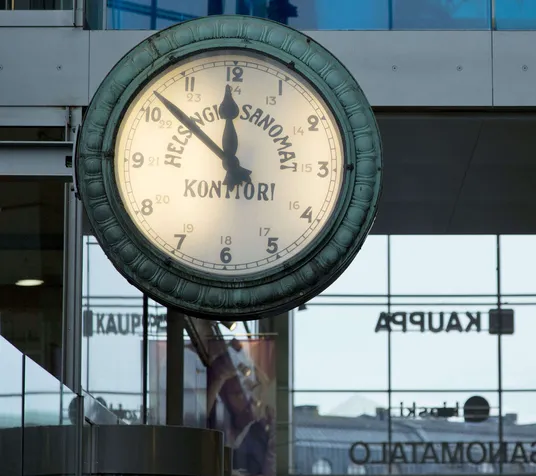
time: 11:52
